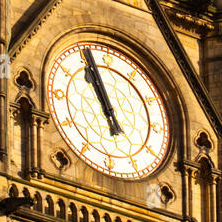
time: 10:56
